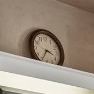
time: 3:34
